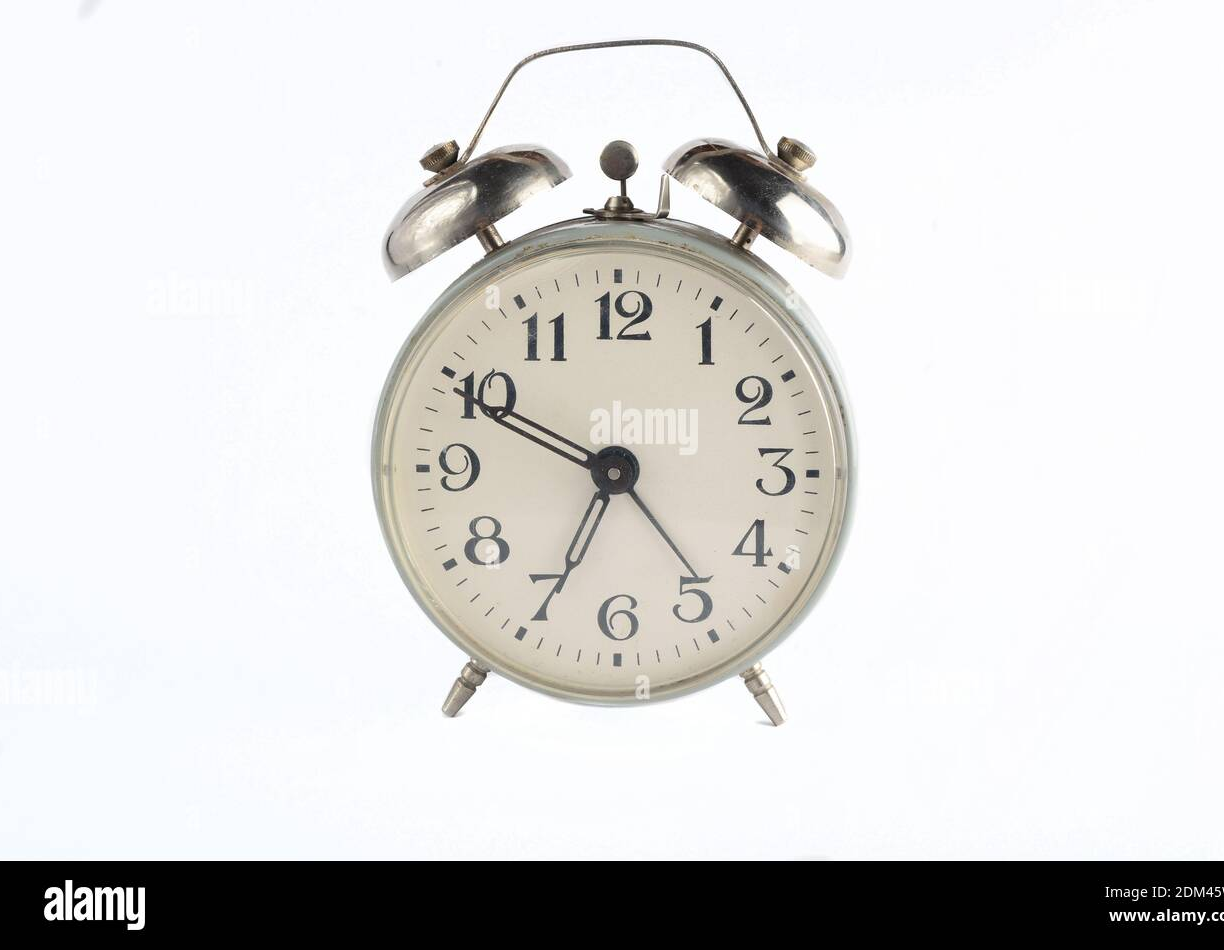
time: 6:49
